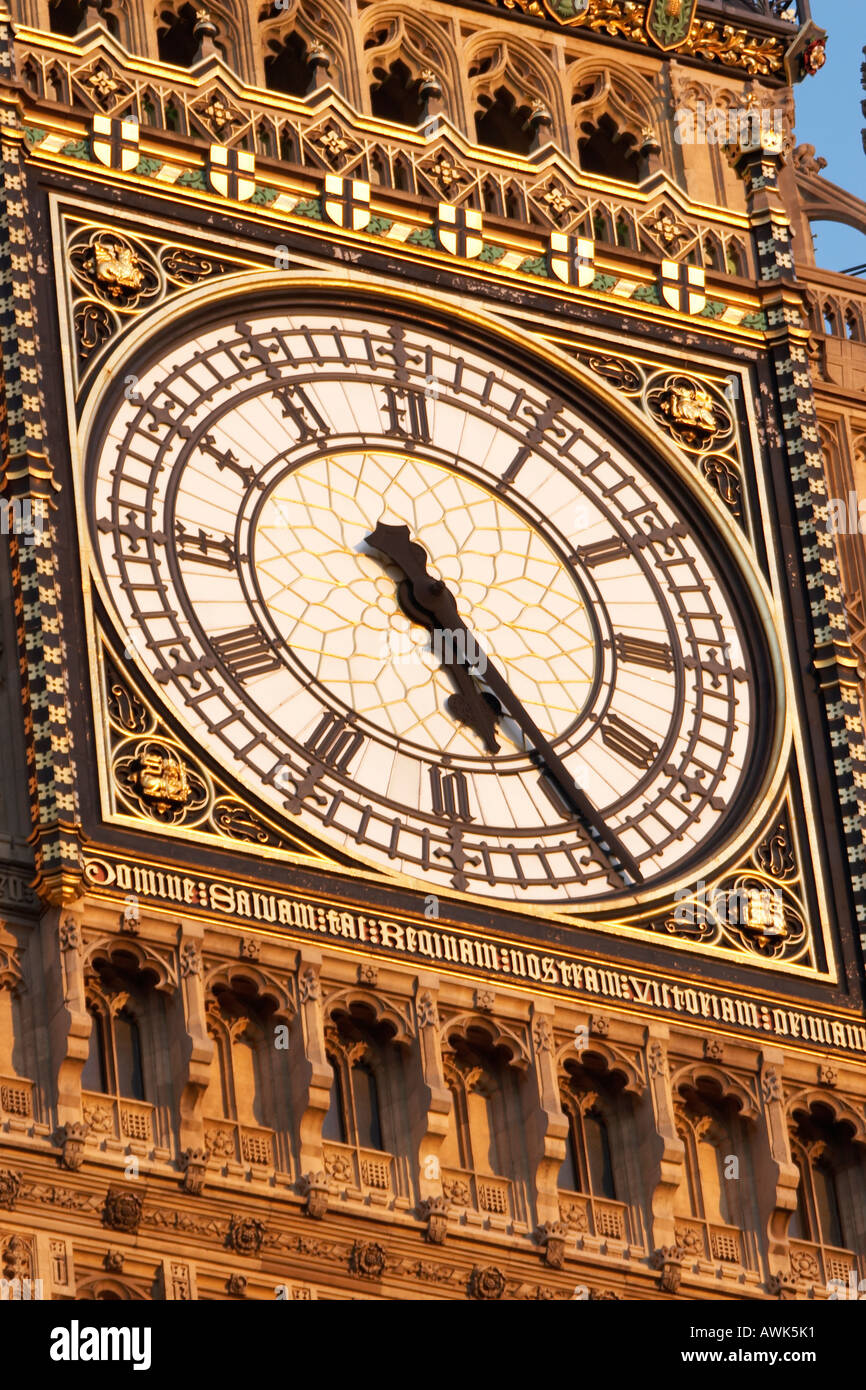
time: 5:24
